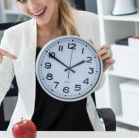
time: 1:50
